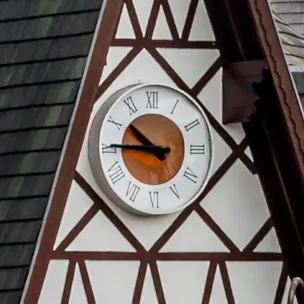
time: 10:45
